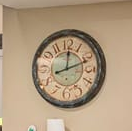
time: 12:11
